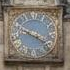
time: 3:48
